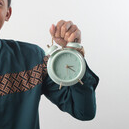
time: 3:22
